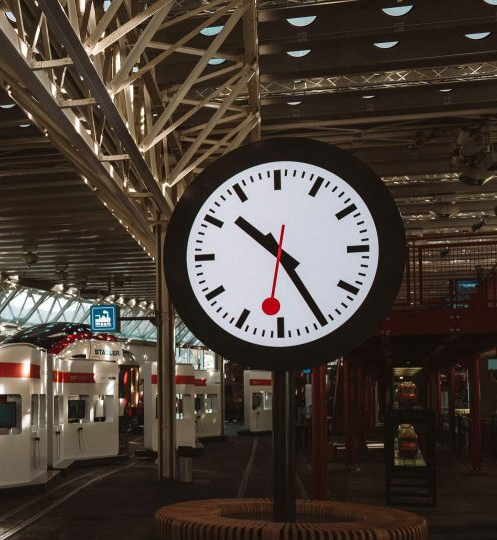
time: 10:24
